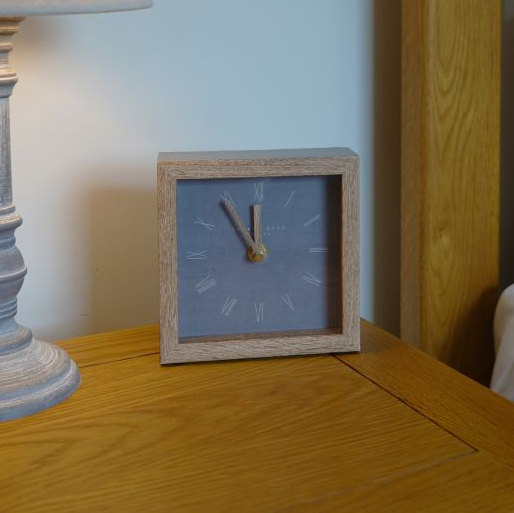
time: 11:54
